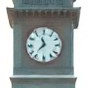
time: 11:37
